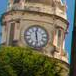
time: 11:28
